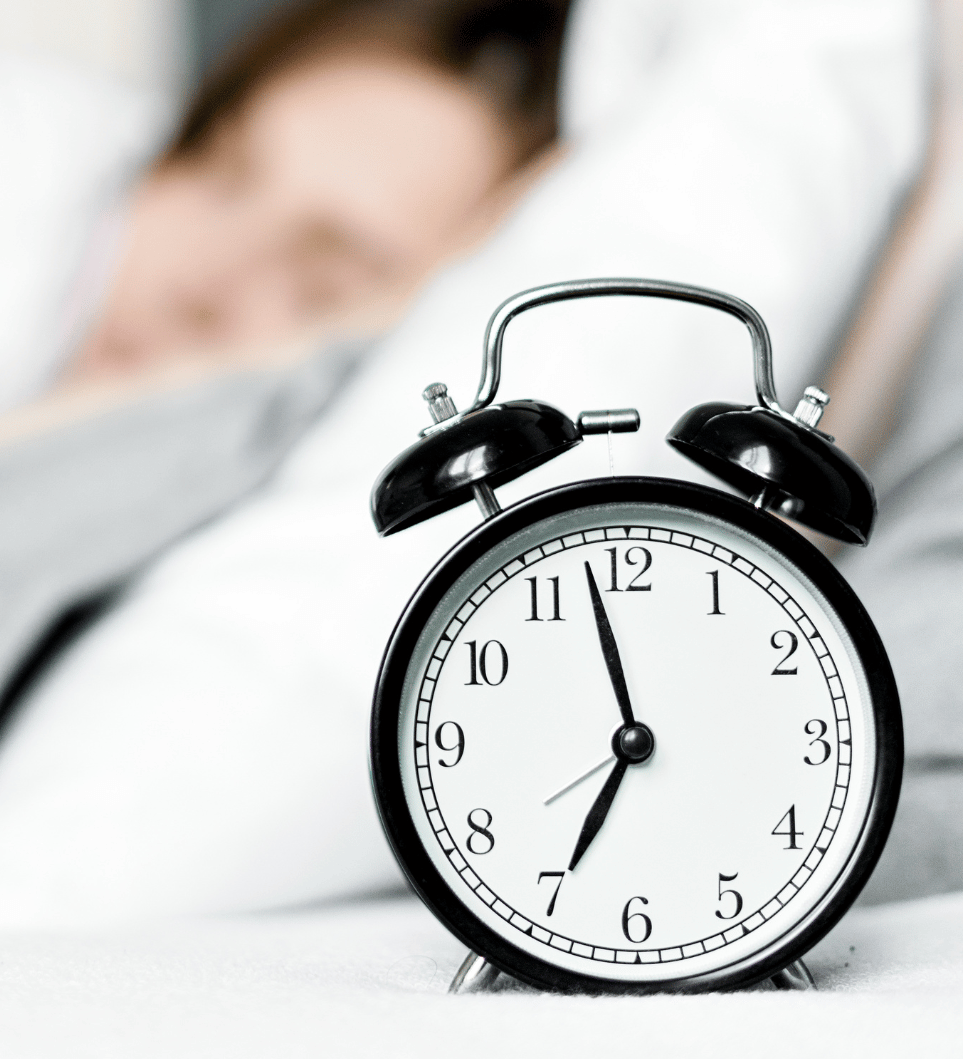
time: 6:58
